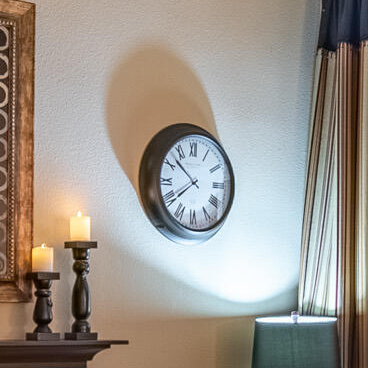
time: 7:52
